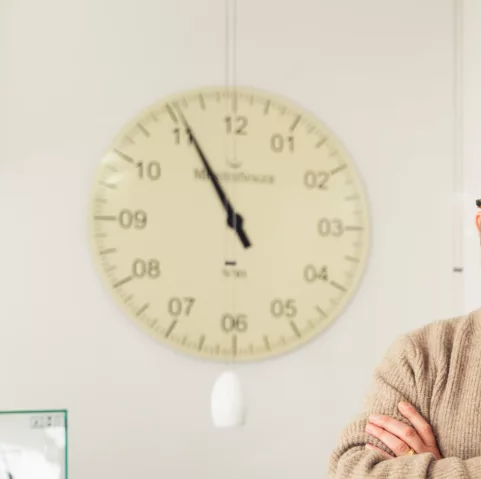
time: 4:55
